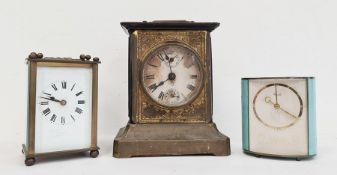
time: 11:40
